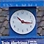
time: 10:16
